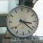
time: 3:21
